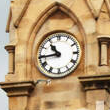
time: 10:44
